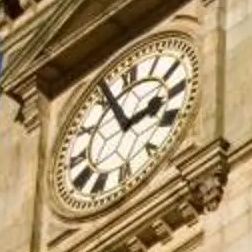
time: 2:56
